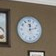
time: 12:12
